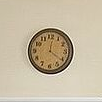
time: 12:20
